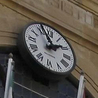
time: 1:56
